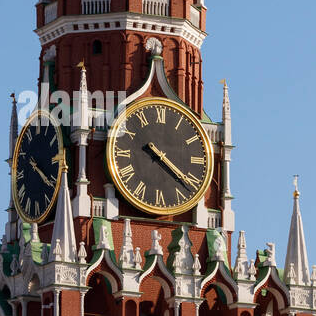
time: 4:21
